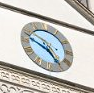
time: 4:48
